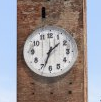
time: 1:33
